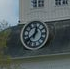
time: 12:39
